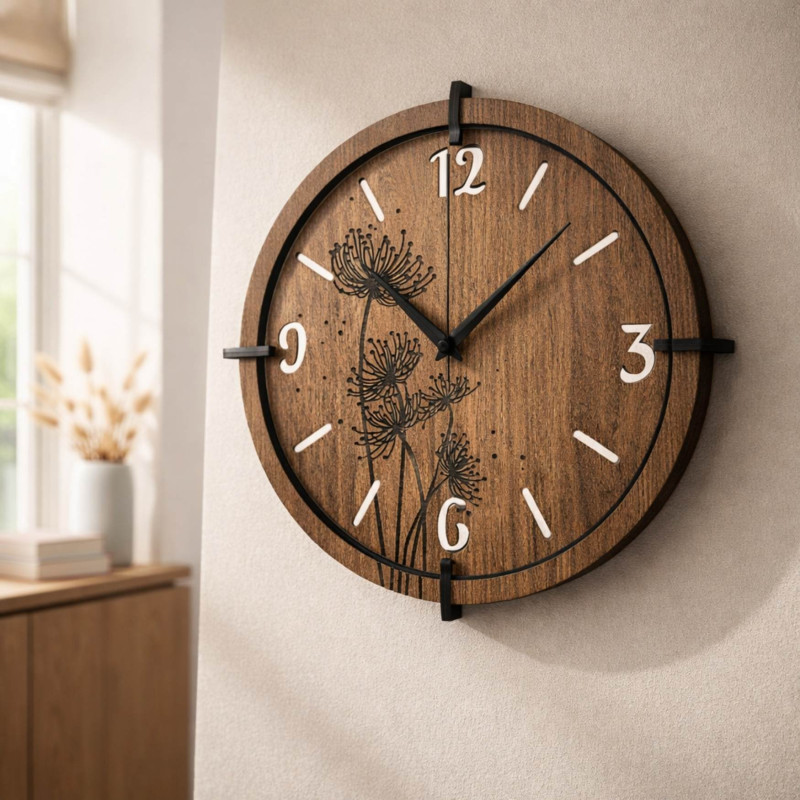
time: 10:07
